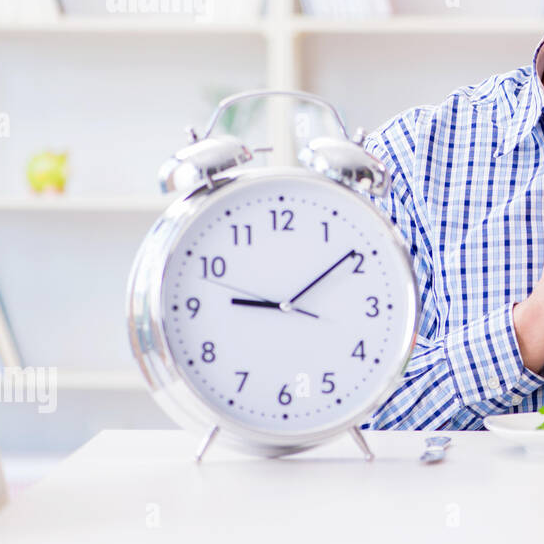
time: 9:09
